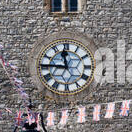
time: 11:45
